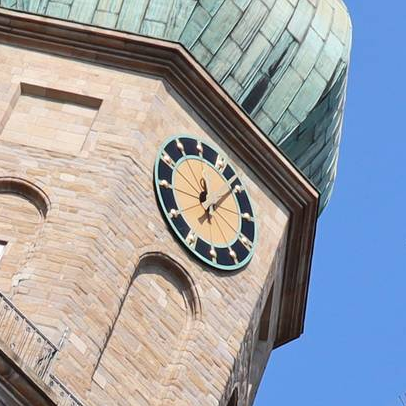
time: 12:07
